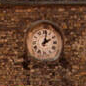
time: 2:01
